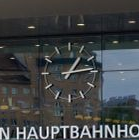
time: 1:13
